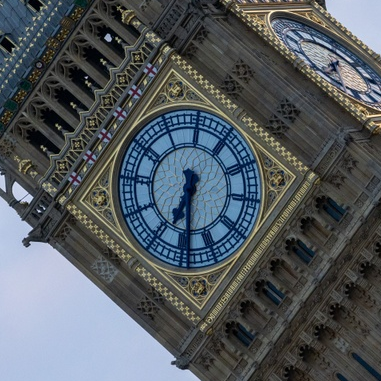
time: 6:29
